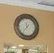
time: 11:36
